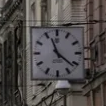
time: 11:21
